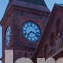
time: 7:17
